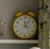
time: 12:06
